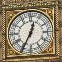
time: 12:34
